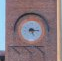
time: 5:14
